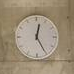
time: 12:25
